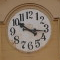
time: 10:16
